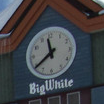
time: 11:39
